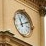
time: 11:10
